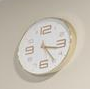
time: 3:23
